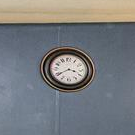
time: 3:39
